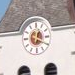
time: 12:19
